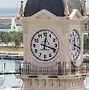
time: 12:18
